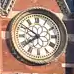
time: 7:50
